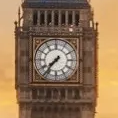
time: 7:36
